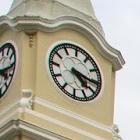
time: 4:16
